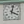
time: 4:02
